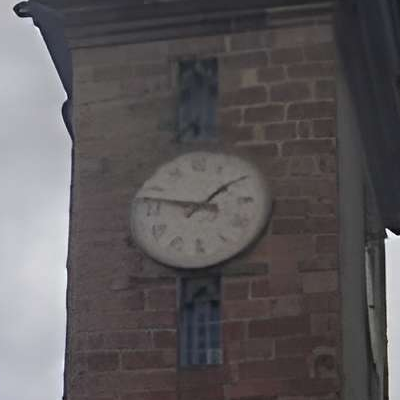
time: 1:47
